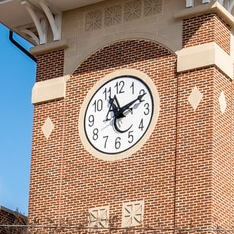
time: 11:10
